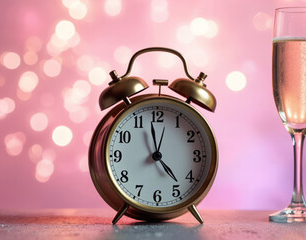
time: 4:58
